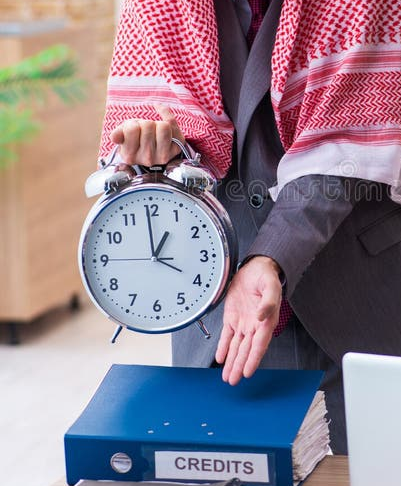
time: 12:59
